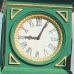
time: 9:04
